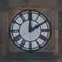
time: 2:00
